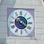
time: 4:20
